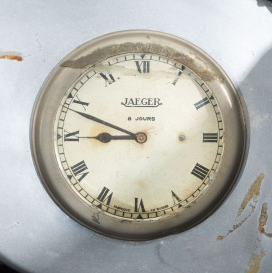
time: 8:48
